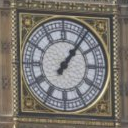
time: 1:06
